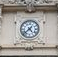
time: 4:37
